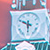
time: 5:49
